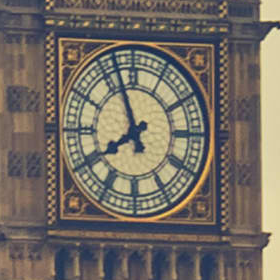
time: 7:56
